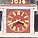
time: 3:40
